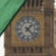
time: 1:22
